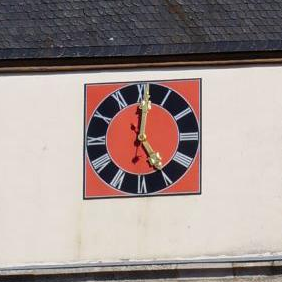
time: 5:00
